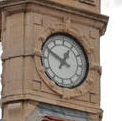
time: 12:49
